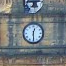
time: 12:29
